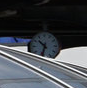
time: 10:32
